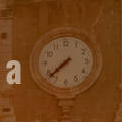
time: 7:37
